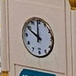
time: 9:59
